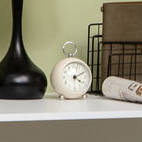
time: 4:10
